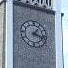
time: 1:18
